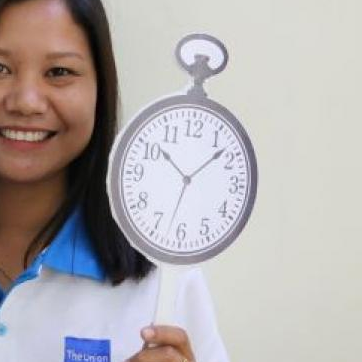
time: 1:32
